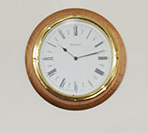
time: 10:12
